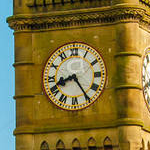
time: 8:24
